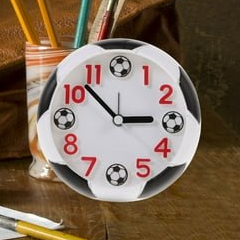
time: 2:52
